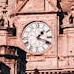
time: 1:18
